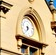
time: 5:33
